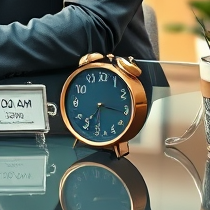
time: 7:16
